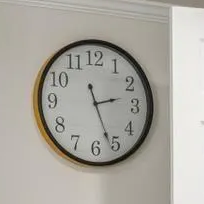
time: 2:26
